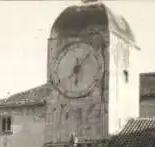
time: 6:07
